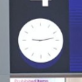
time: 9:12
